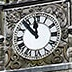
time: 11:53
